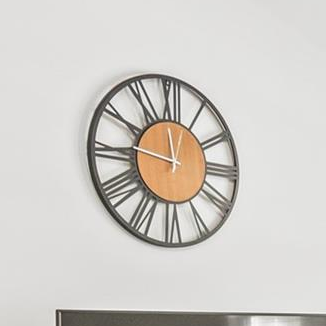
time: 11:46
